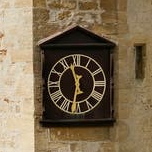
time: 11:32
